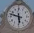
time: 5:47
